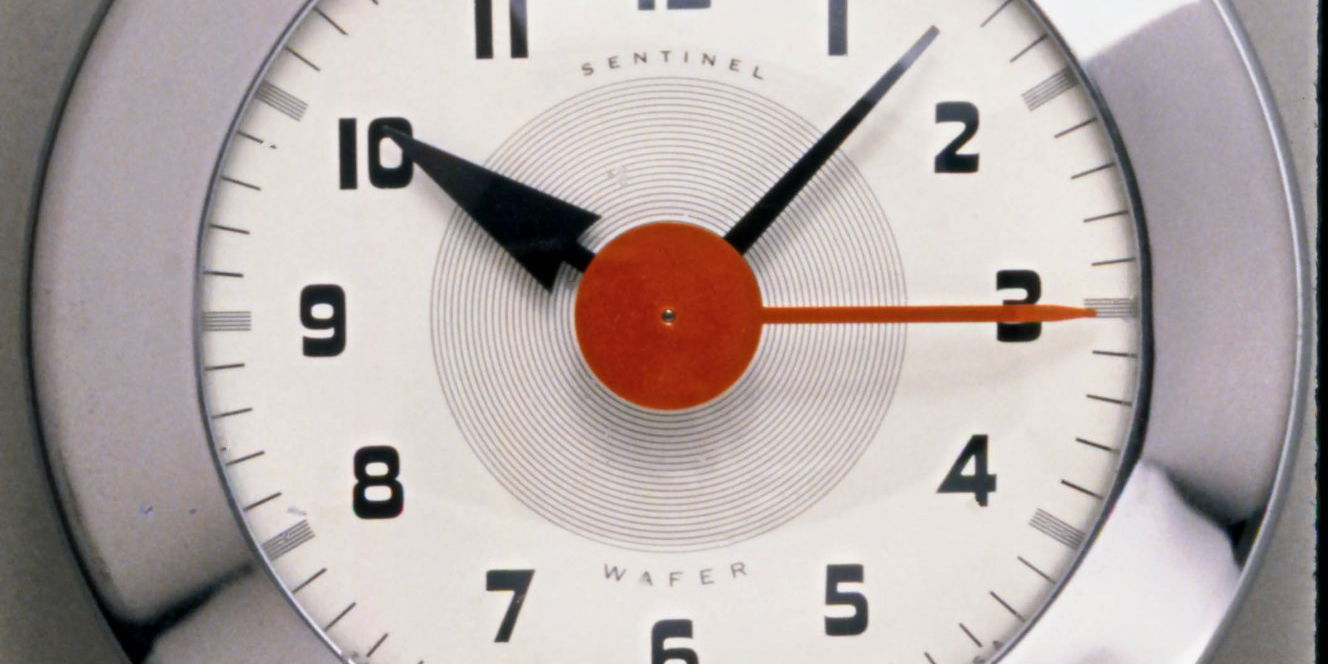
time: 10:07
